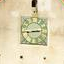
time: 2:44
